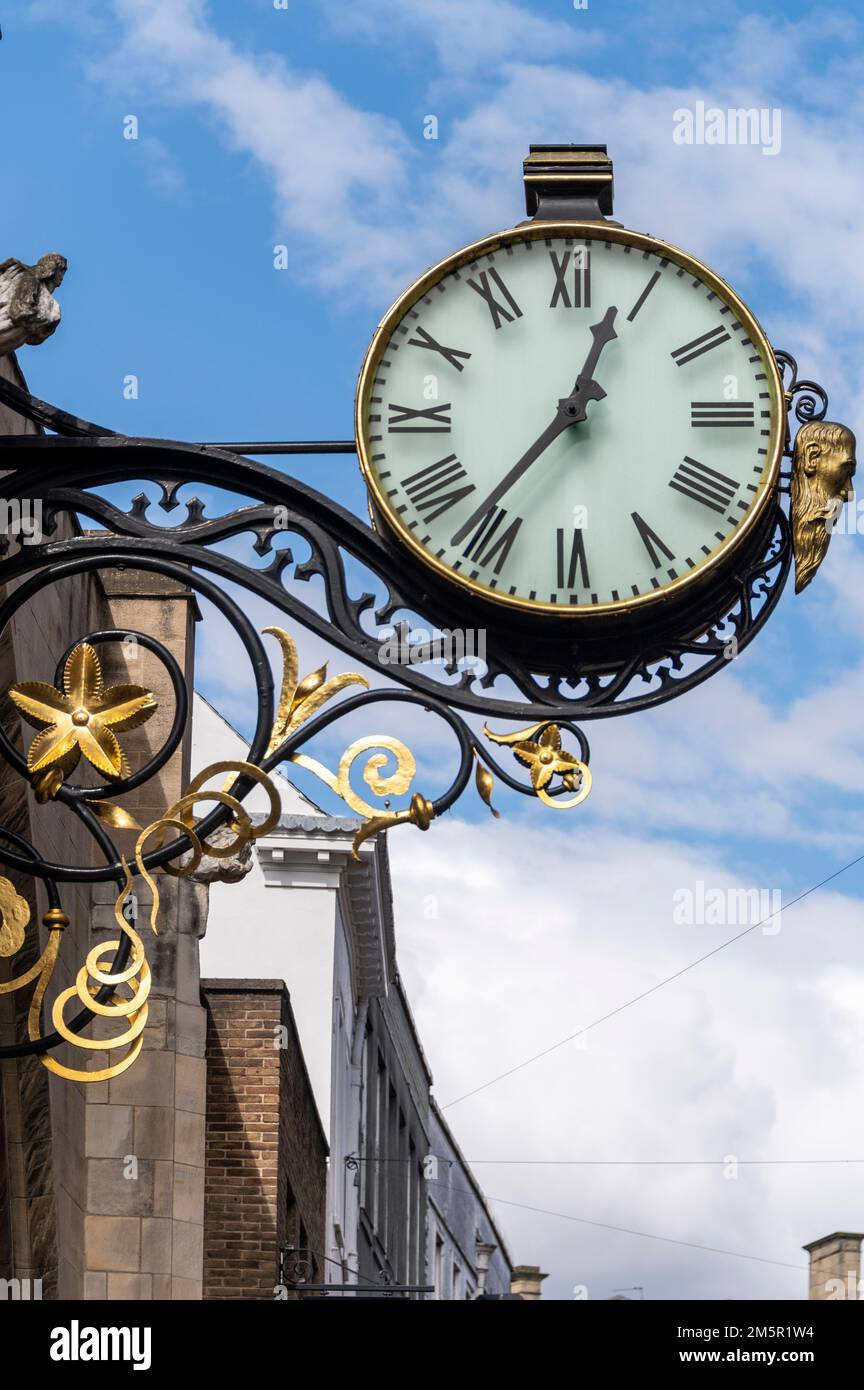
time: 12:36
